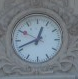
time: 12:41
